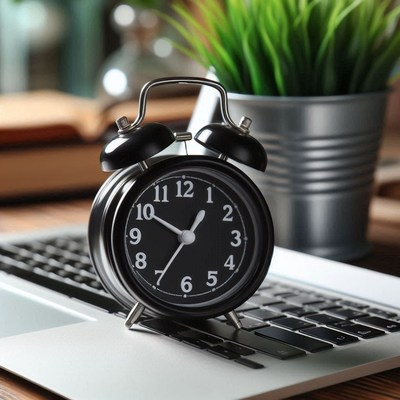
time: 12:50
